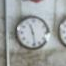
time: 11:28
